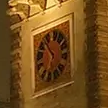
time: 10:34
